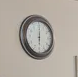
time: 6:00
